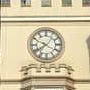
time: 7:49
